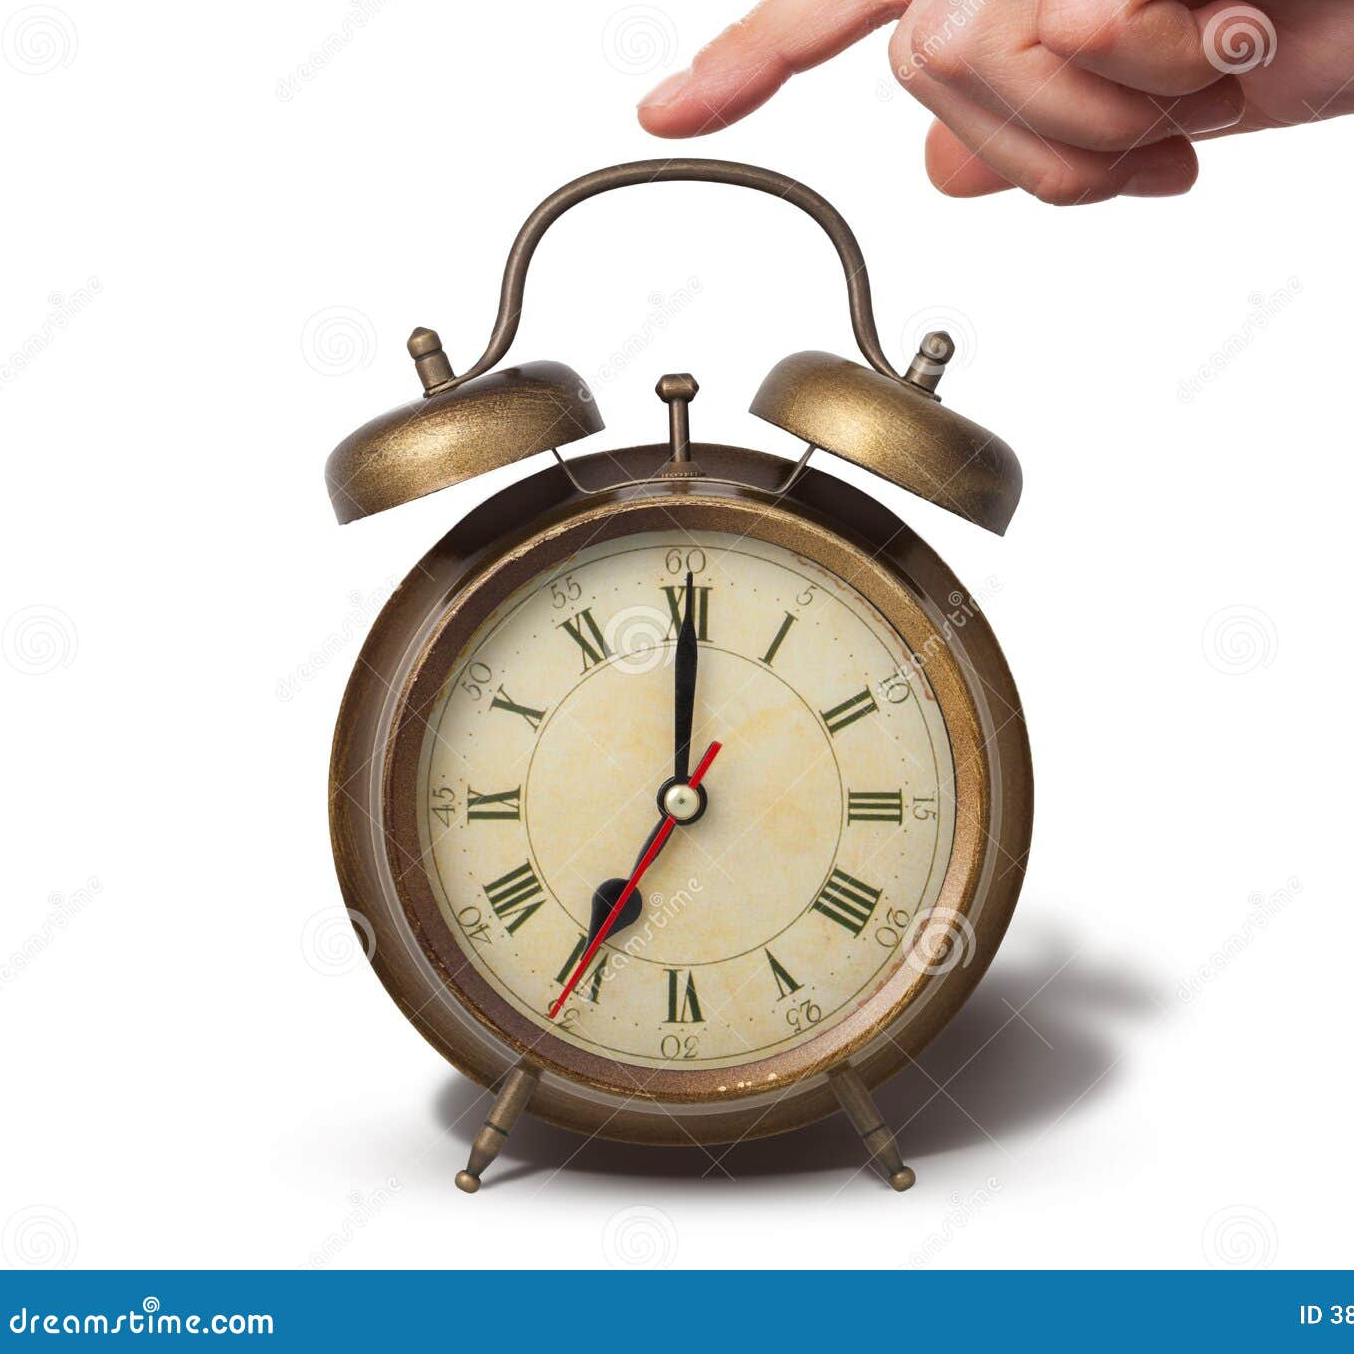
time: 7:00
